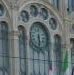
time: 5:30
